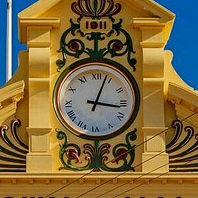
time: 3:03
